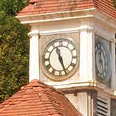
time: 11:26
